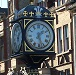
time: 1:26
